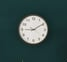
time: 9:09
